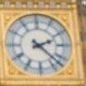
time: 2:22
